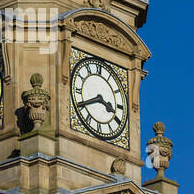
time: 3:40
